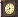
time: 8:32
